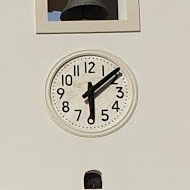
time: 6:08
